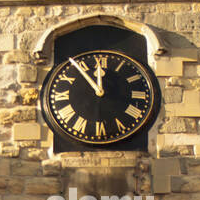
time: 11:53
